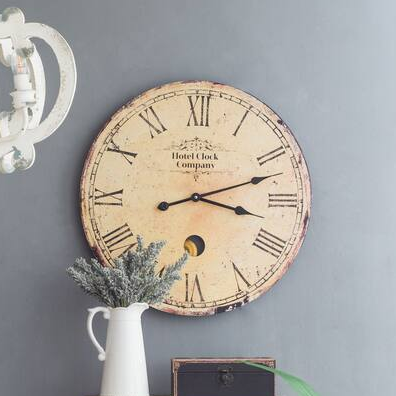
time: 3:11
